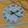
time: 2:21
